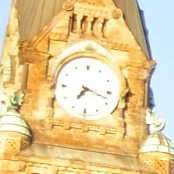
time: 7:18
